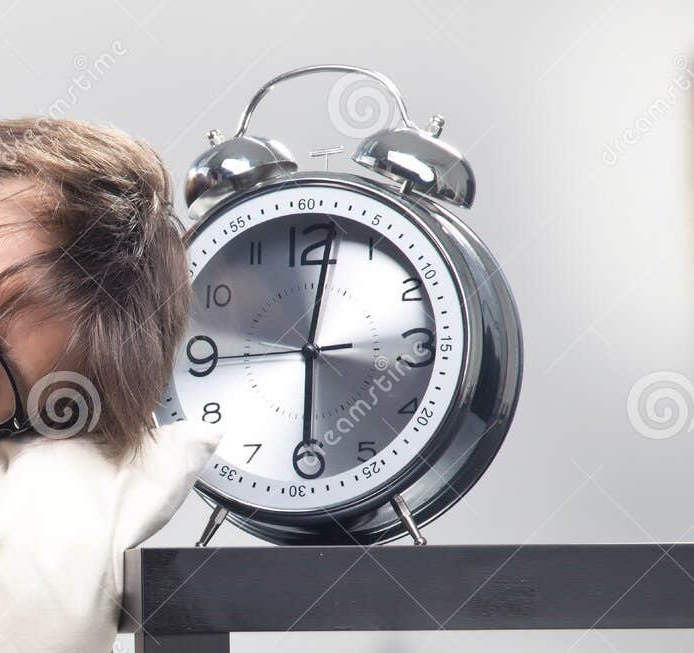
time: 6:01
